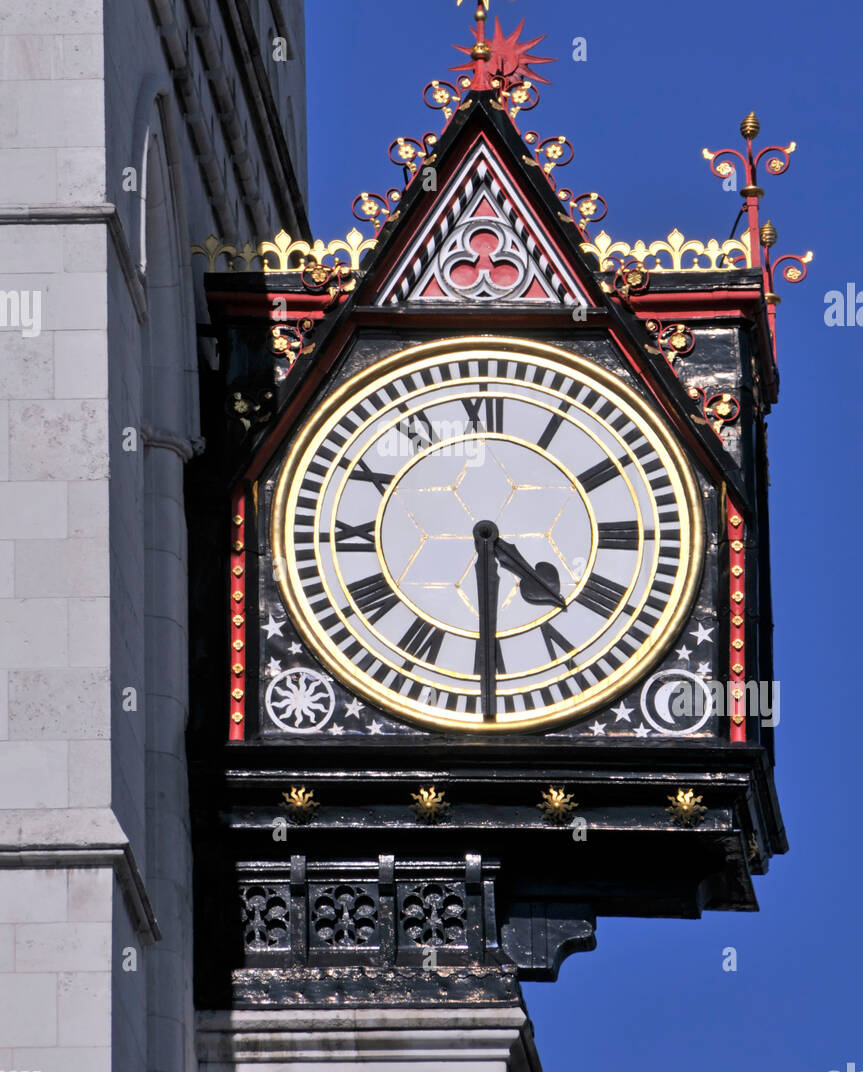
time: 4:29
